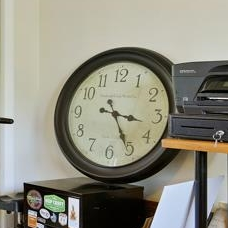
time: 3:25
